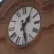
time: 1:28
